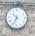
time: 10:34
